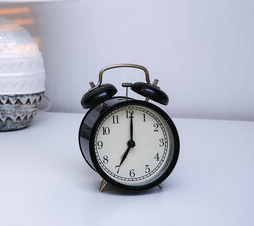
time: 7:00
